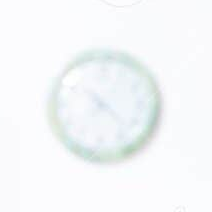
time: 7:22
